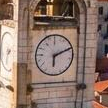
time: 6:11
